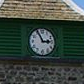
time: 2:55
